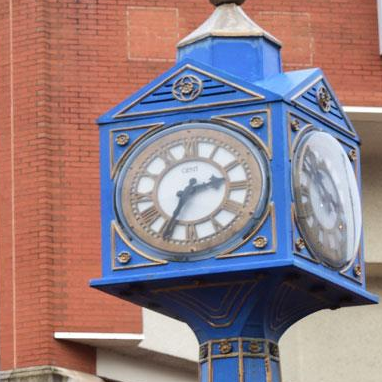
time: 2:34
